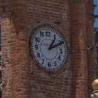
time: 1:10
